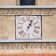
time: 1:04
